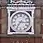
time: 7:16
